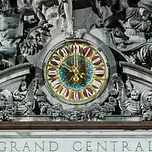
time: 10:00
